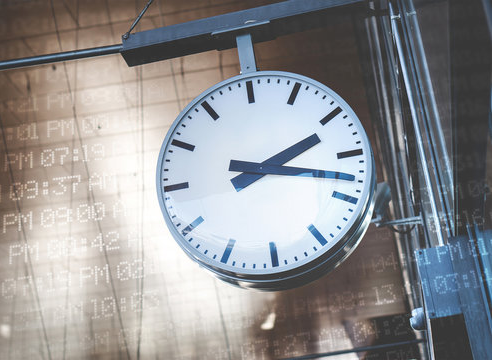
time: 2:17
